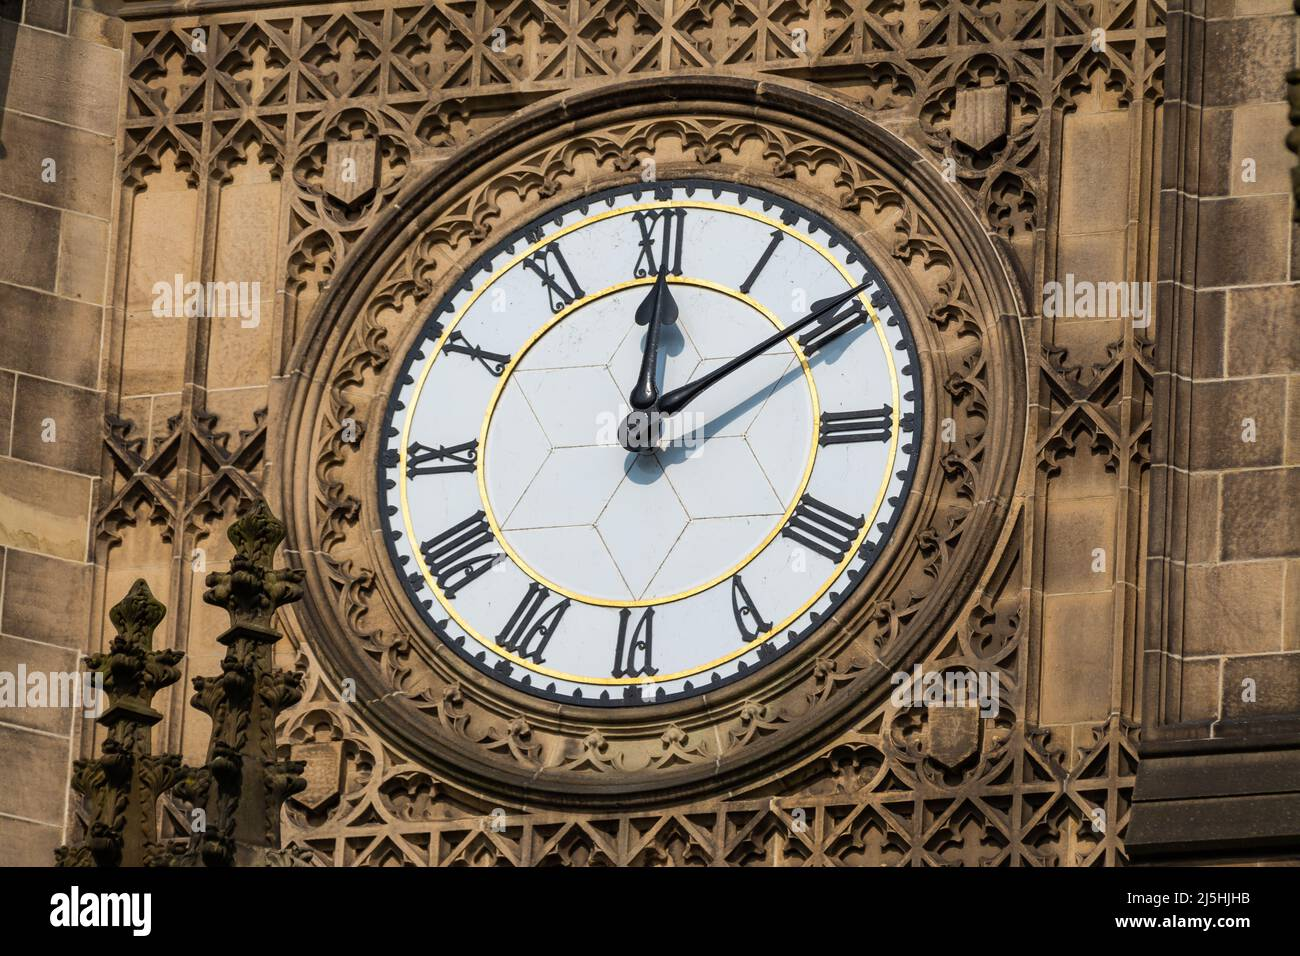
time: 12:09
